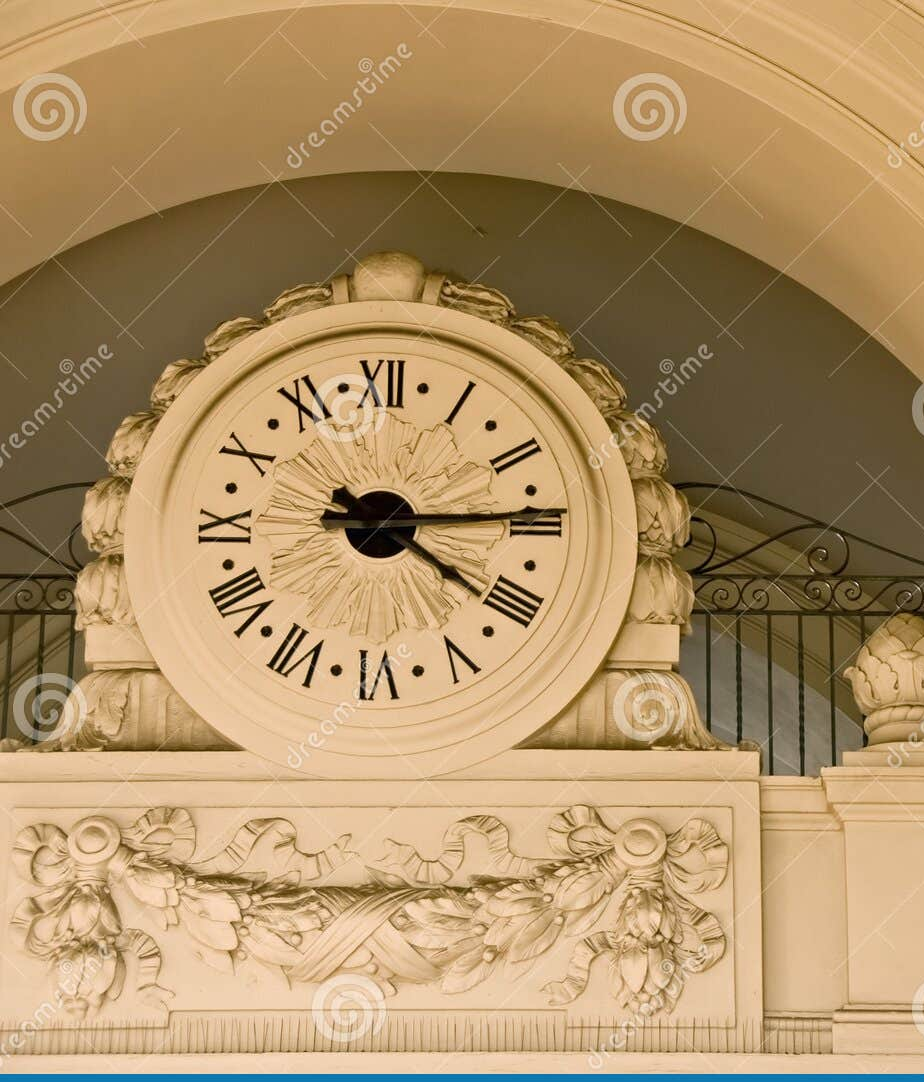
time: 4:14
